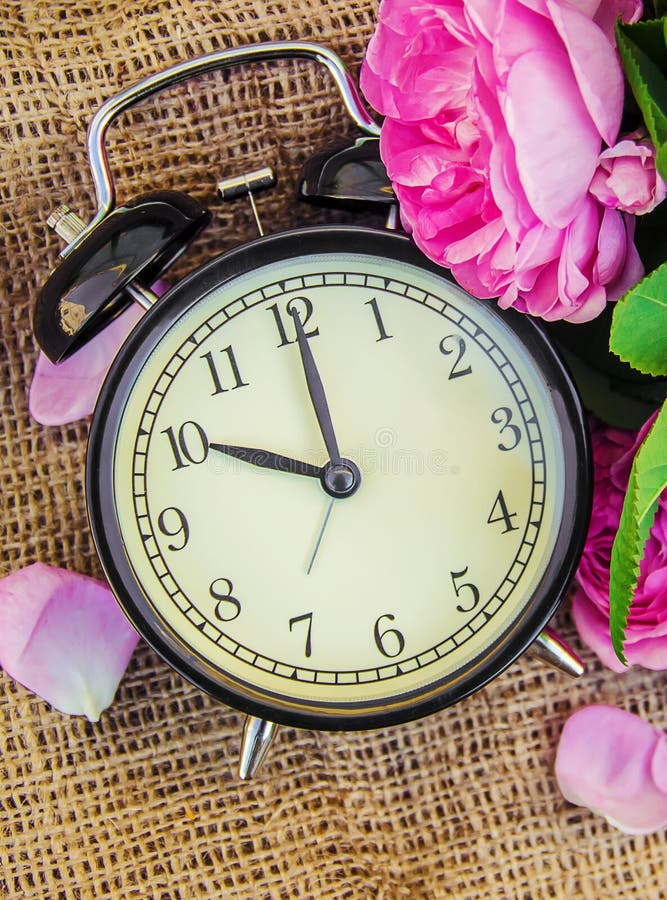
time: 10:00
